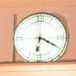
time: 6:19
